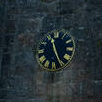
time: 11:25
